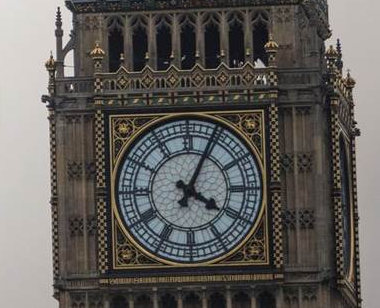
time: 4:04
